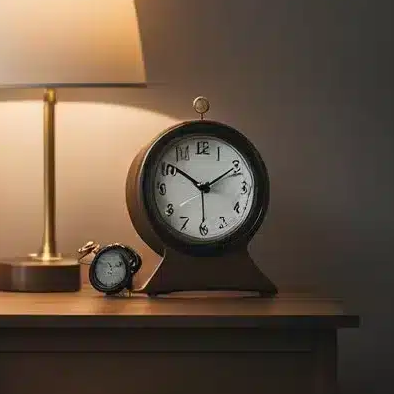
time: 1:51
